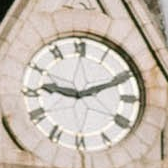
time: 9:11
